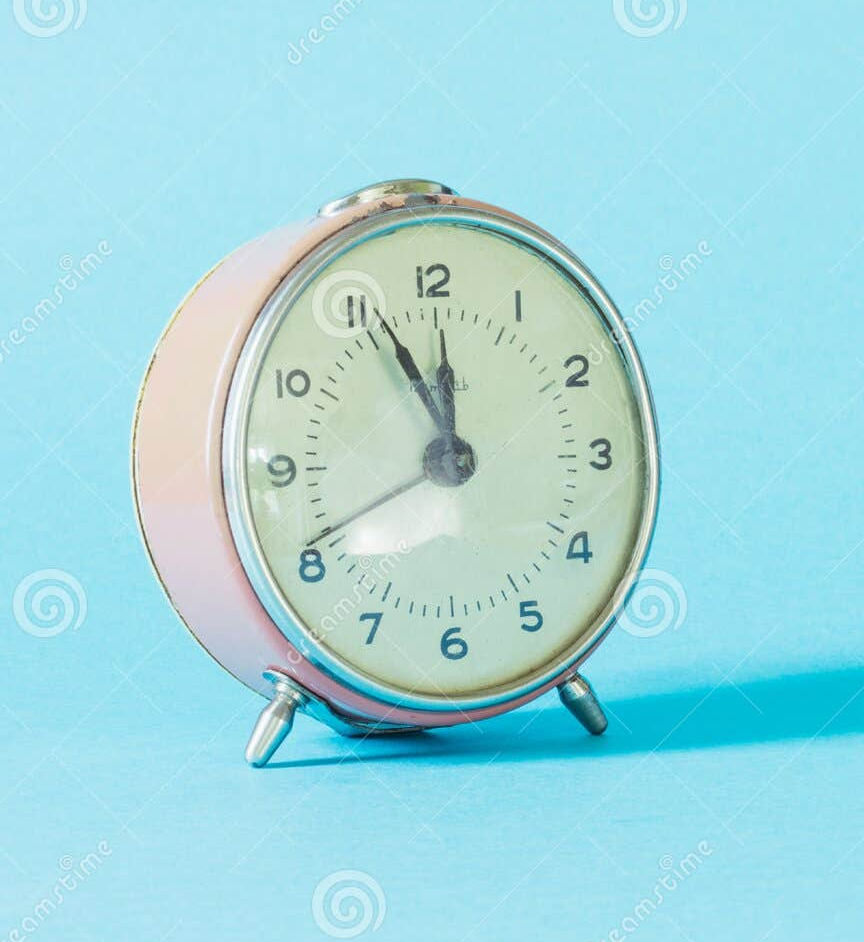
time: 11:55
